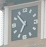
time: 6:52
